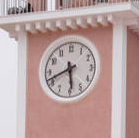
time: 5:41
